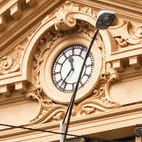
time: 11:36
